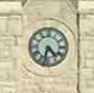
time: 4:32
